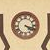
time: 4:17
